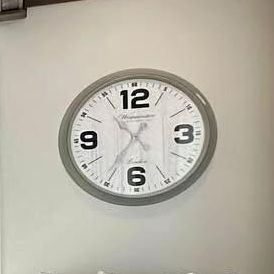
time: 10:35
